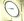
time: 8:43
